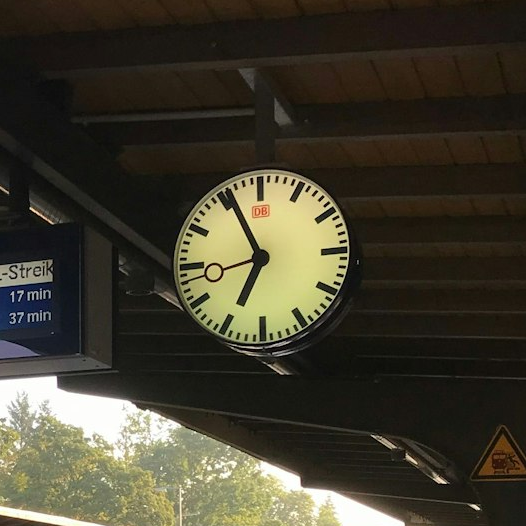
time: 6:55
